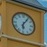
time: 6:06
